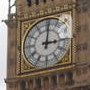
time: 3:01
